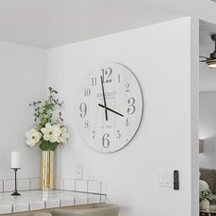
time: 3:58
